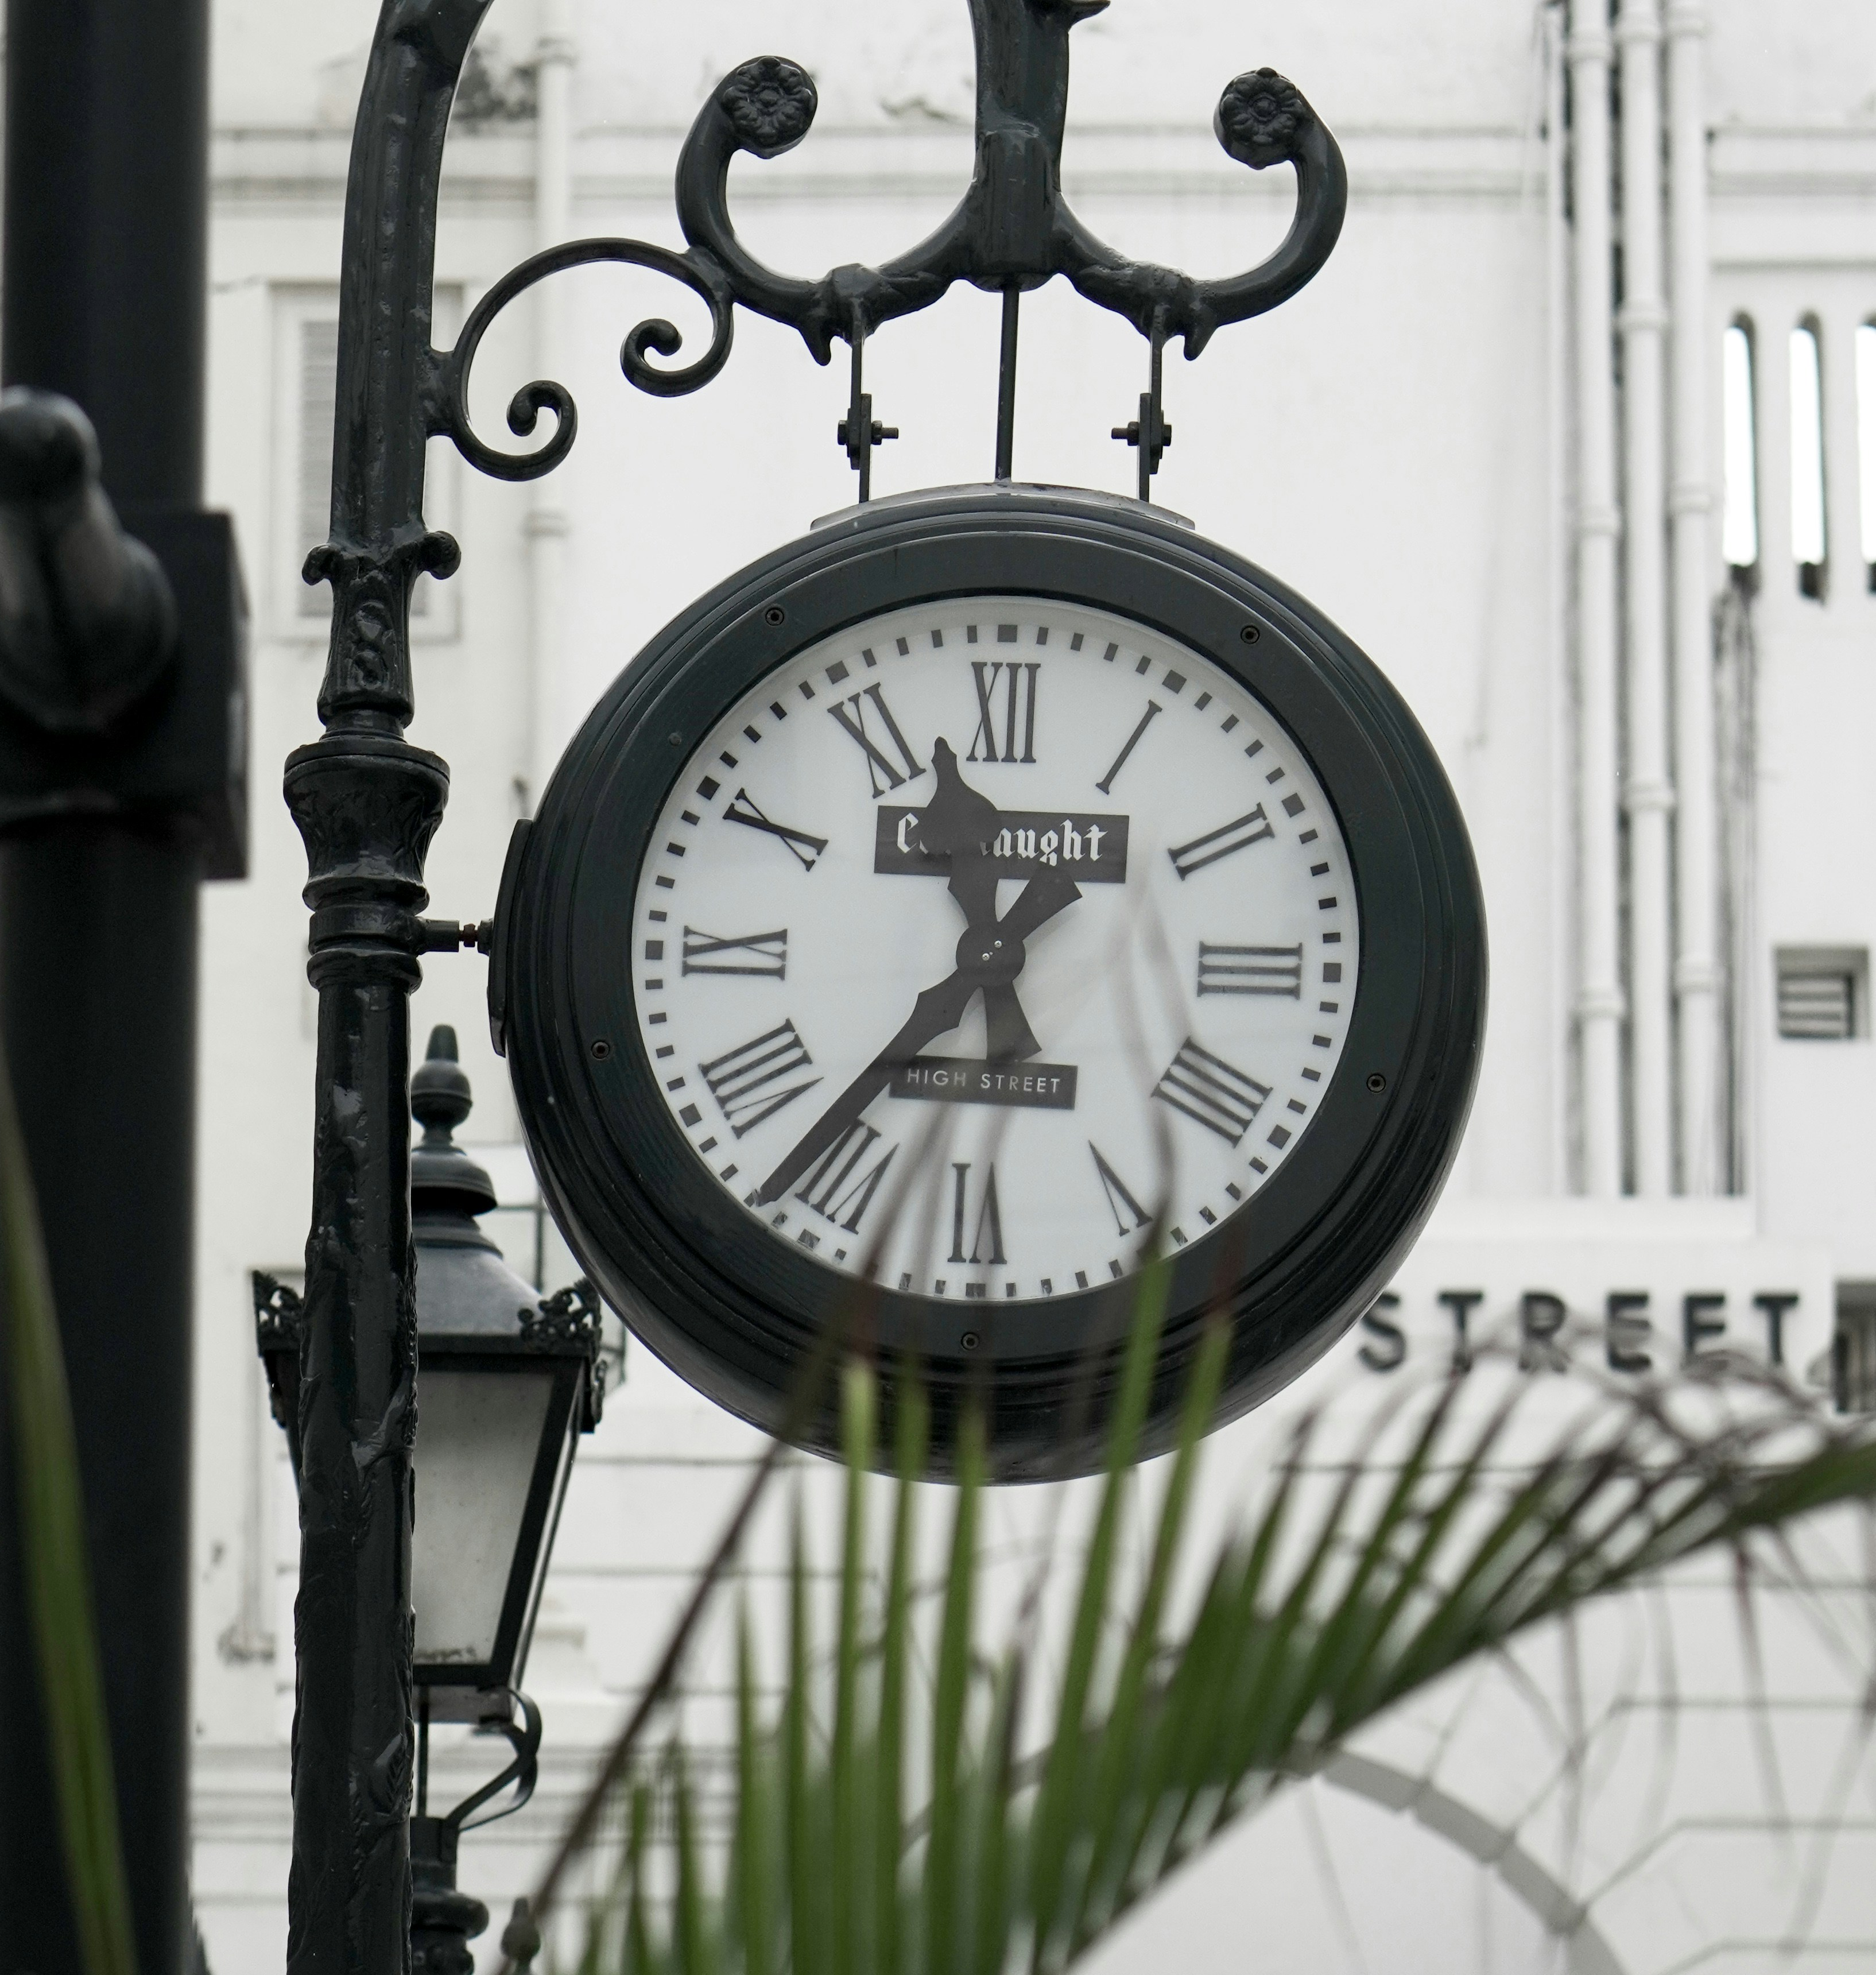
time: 11:36
